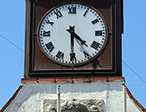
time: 4:29
